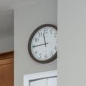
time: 11:44
